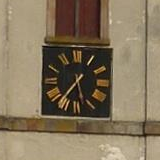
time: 5:36
